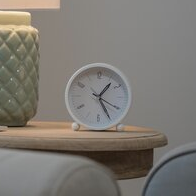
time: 1:25
